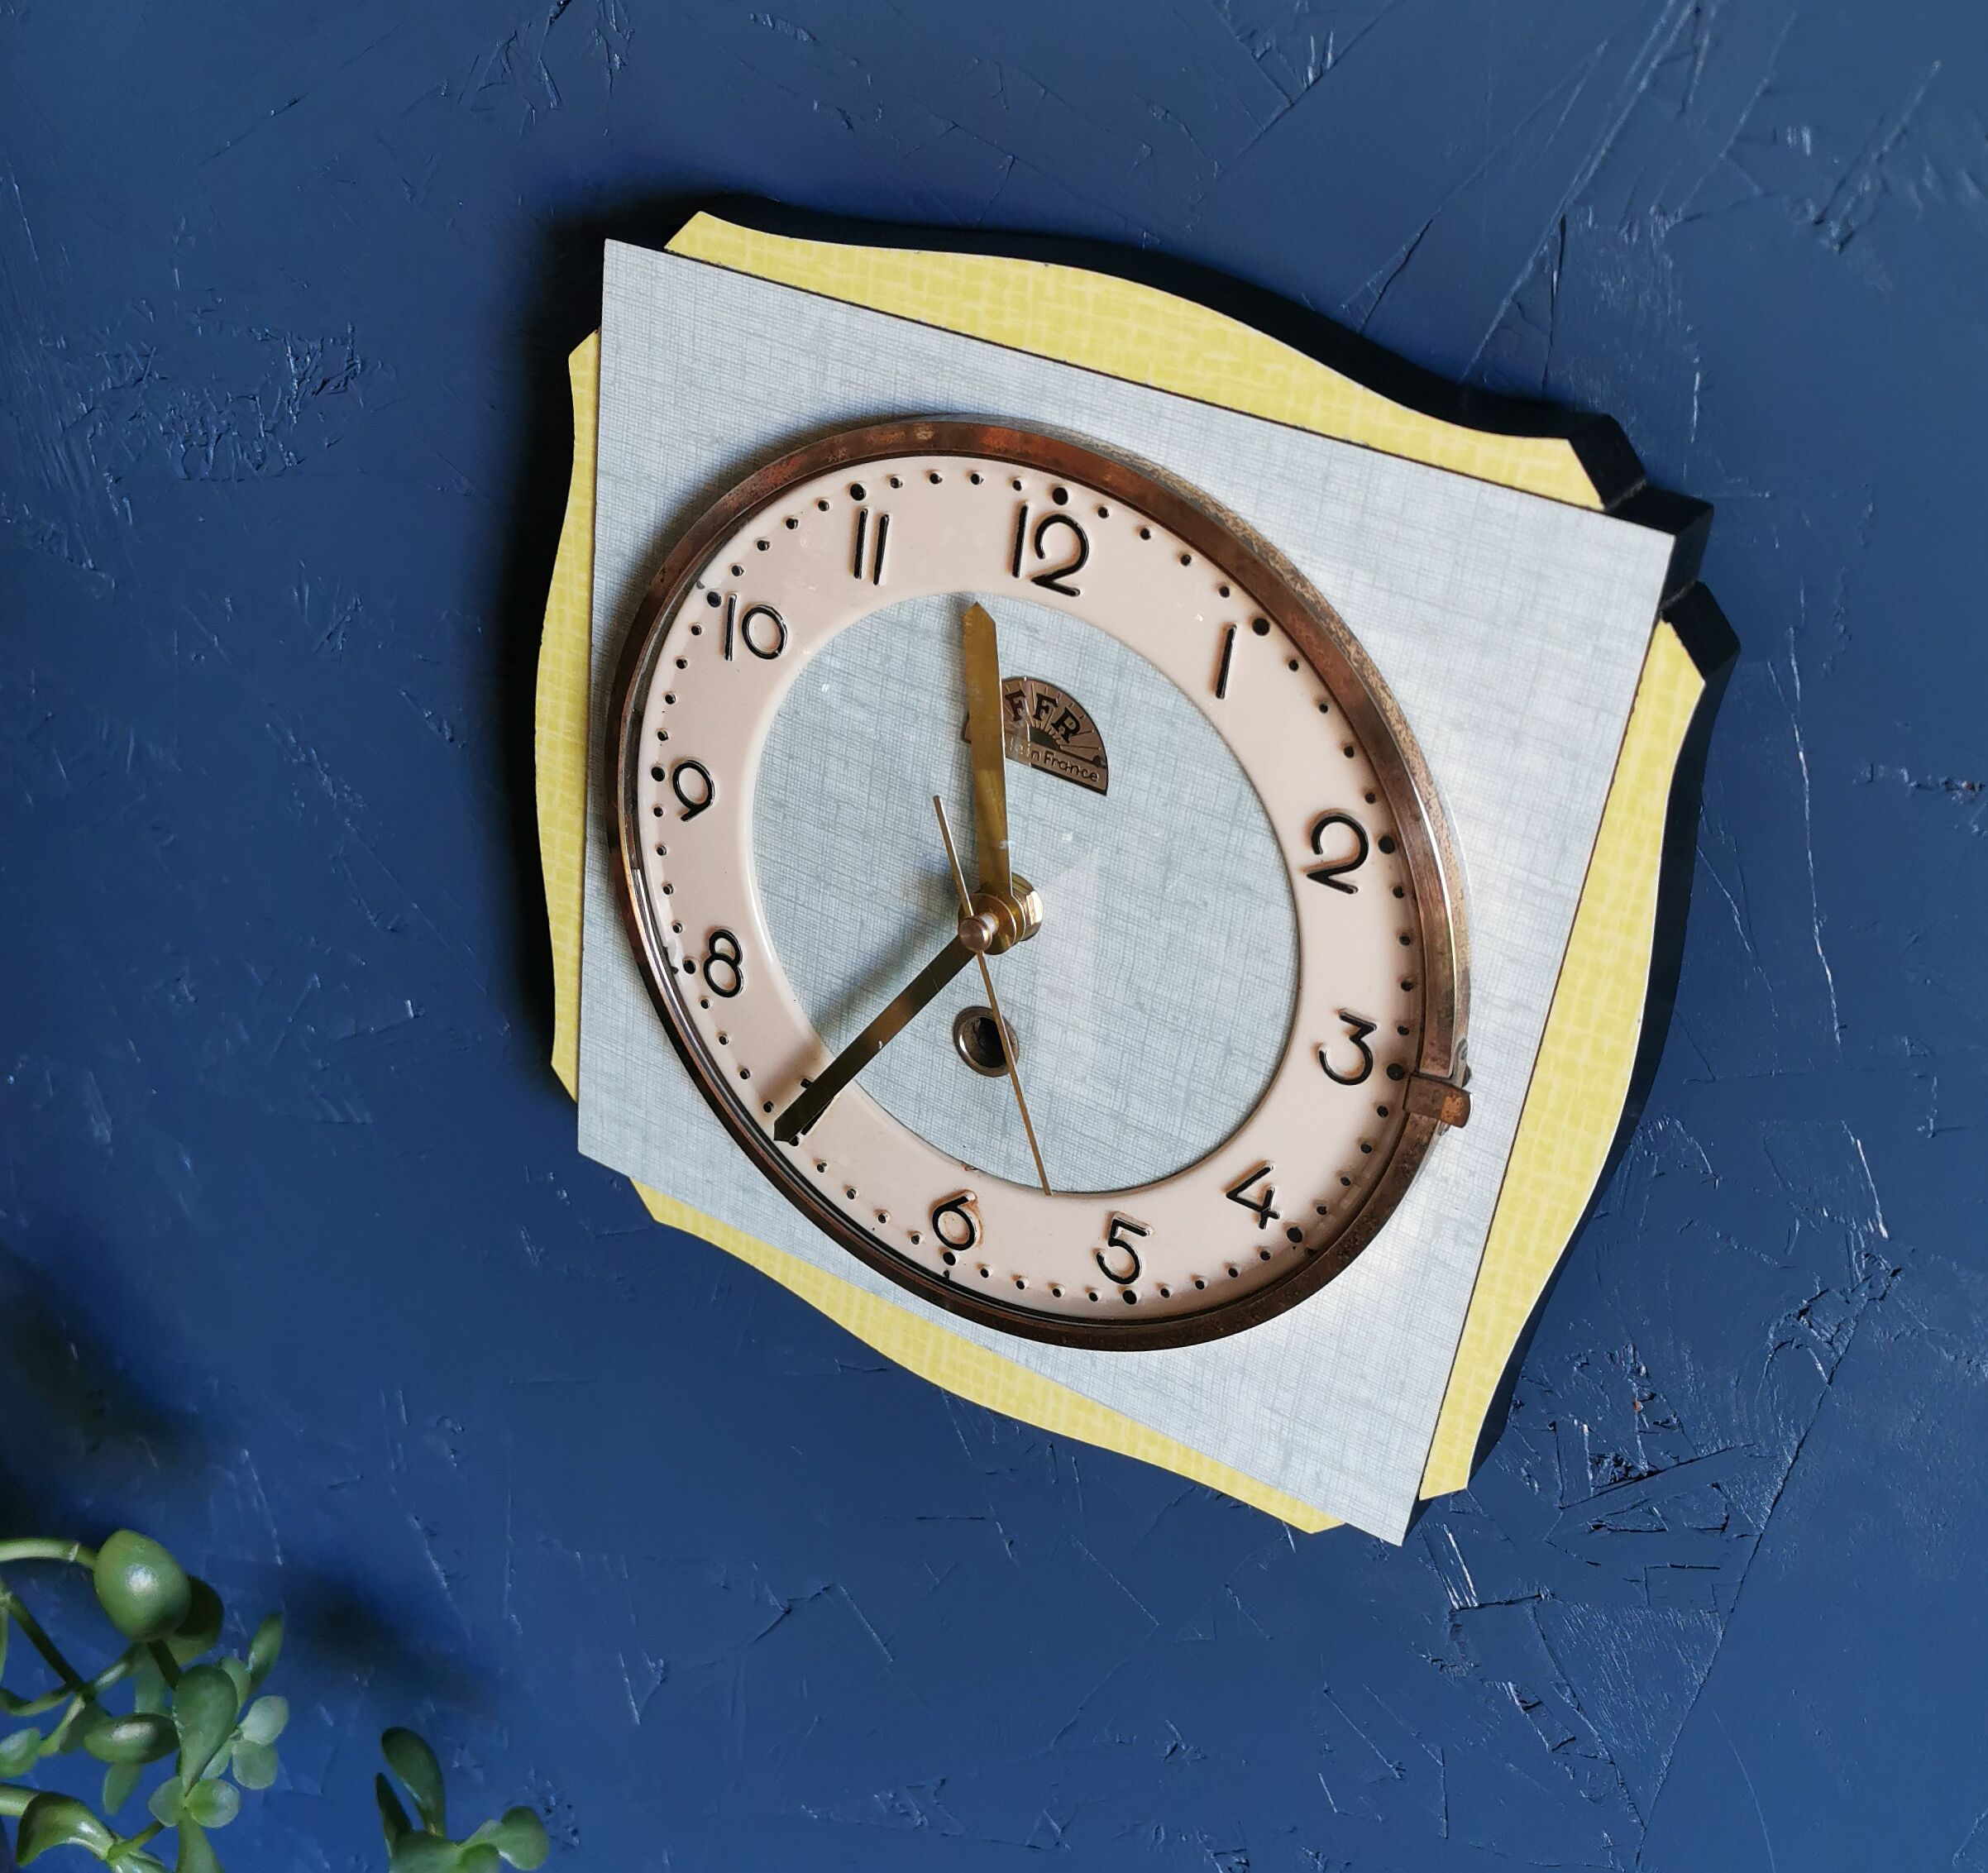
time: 11:35
